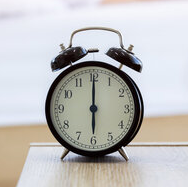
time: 6:00
